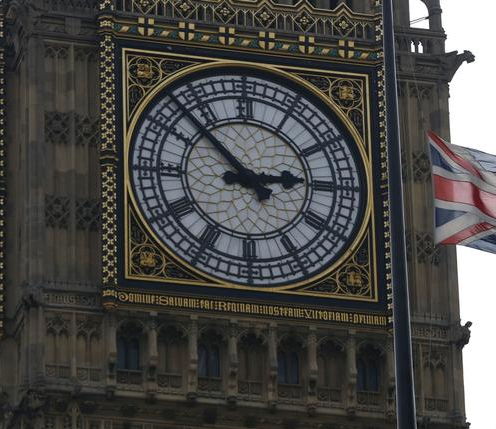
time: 2:52
